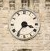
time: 3:36
